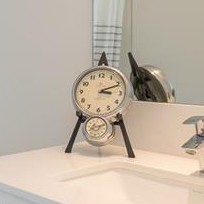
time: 3:11
